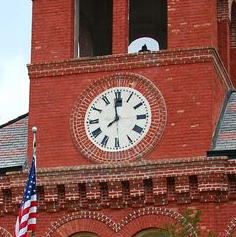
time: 7:59
